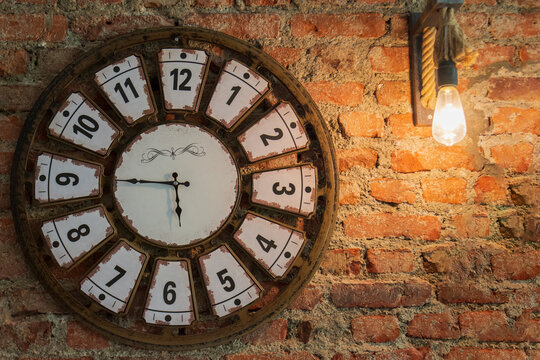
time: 5:45
